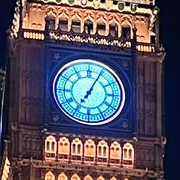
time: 7:04
